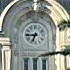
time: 6:44
